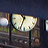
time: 10:34
